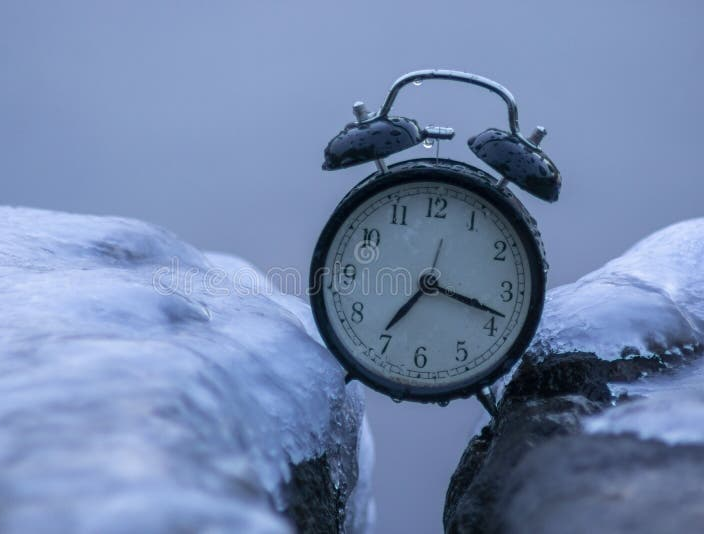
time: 7:18
